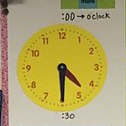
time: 4:29
